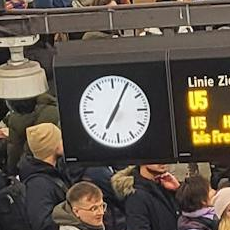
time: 7:04
